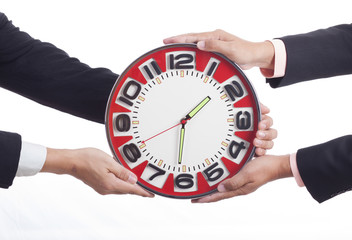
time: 1:31
